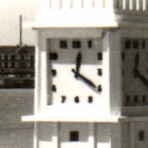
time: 12:20
